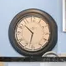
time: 10:32
